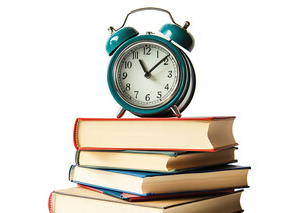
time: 11:08
